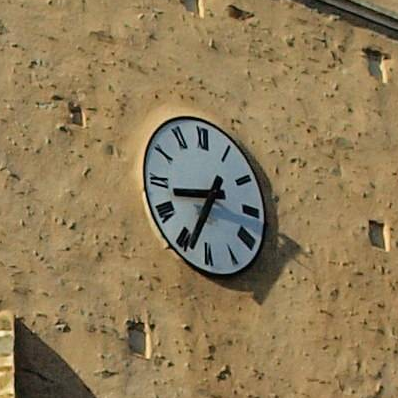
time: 8:34
